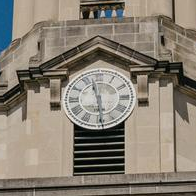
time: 11:29
